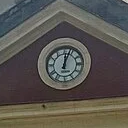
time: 12:03
